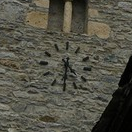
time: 4:31
